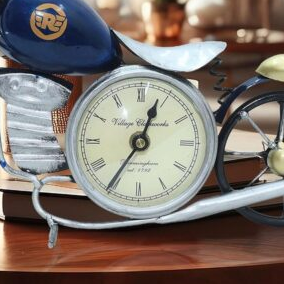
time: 12:35
